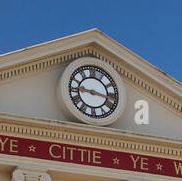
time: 9:17
